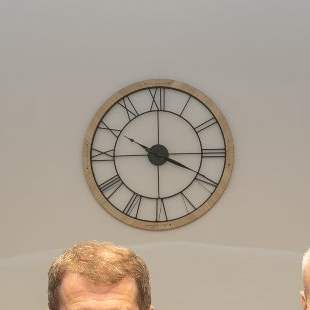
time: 3:50
